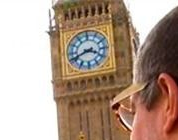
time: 3:41
